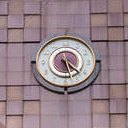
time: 4:27
